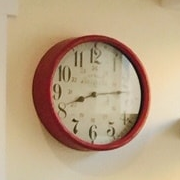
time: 8:13
